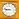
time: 8:47
